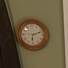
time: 6:12
